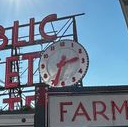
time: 2:33
